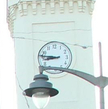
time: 8:46
